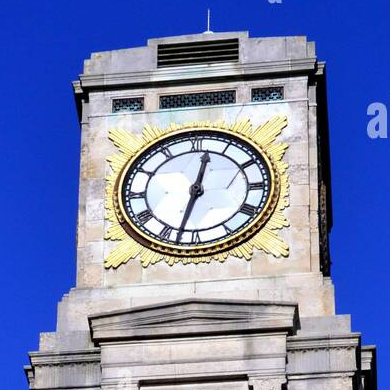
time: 12:32
